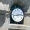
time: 2:42
